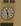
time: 11:28
